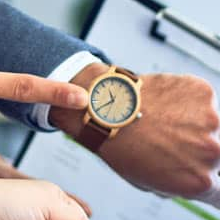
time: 11:40
